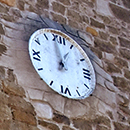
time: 12:58
